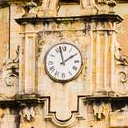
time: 1:57
